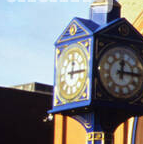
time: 12:14
